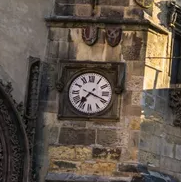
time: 7:18
